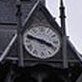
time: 3:47
